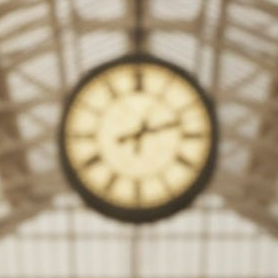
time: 8:12
